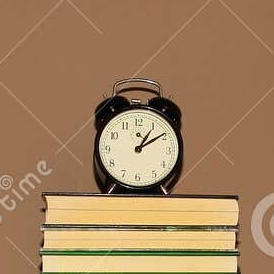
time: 1:09
